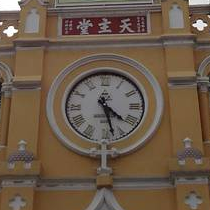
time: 4:27
